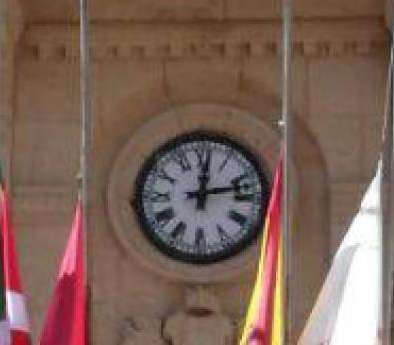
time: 12:12
